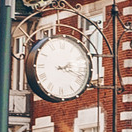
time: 2:18
